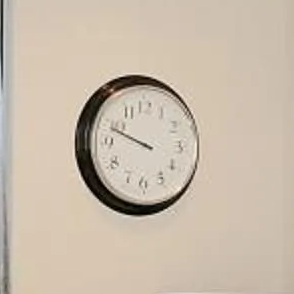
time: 9:48
